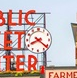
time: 8:21
